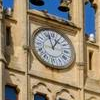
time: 12:57
